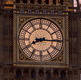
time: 8:15
